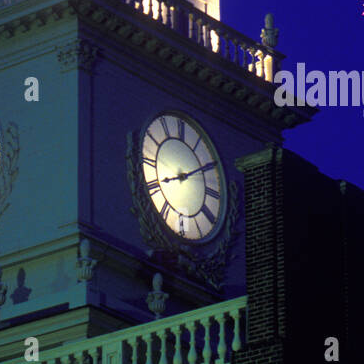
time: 8:09
